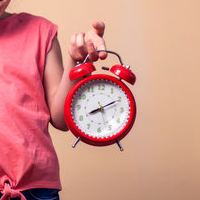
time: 8:10
